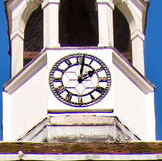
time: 2:01
